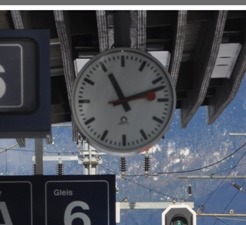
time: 11:12
